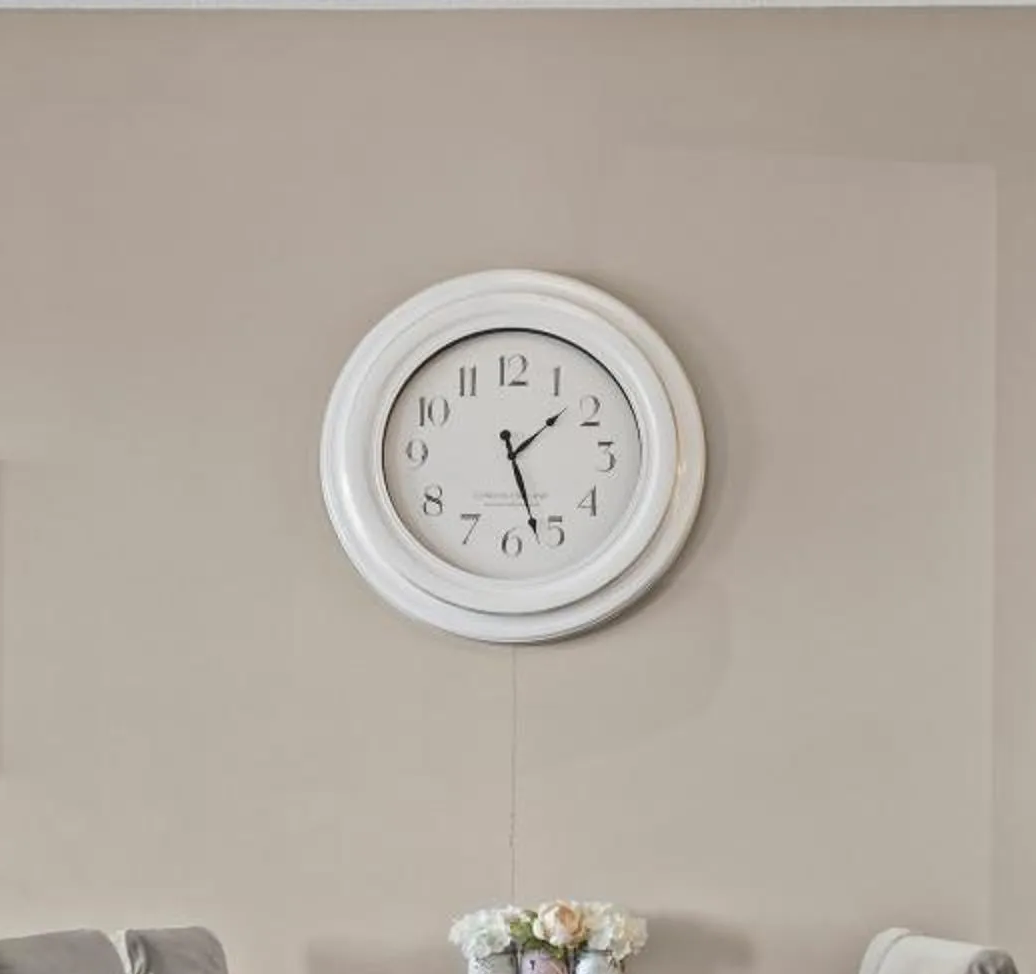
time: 1:27
